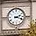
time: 2:18
